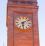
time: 6:08
